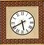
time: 5:40
